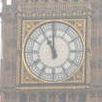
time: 10:59
